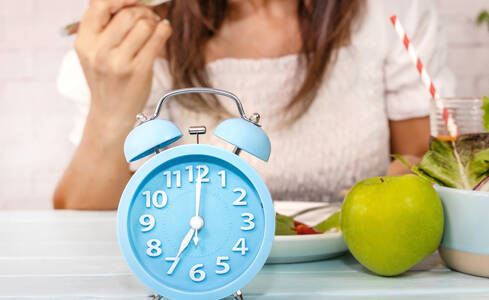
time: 7:00
